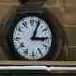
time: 3:04
